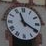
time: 11:19
